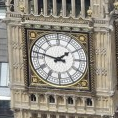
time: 1:47
